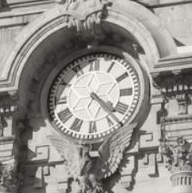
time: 4:22
